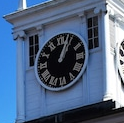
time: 1:03
